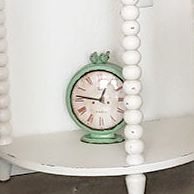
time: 12:46
